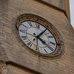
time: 4:05
